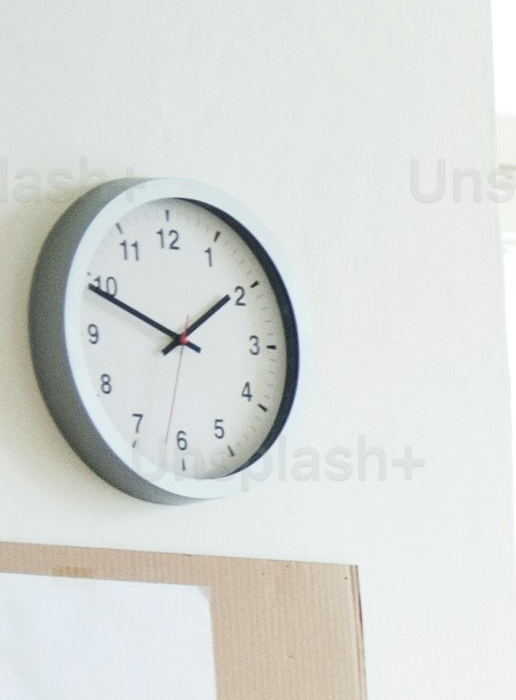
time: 1:49
